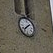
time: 1:37
